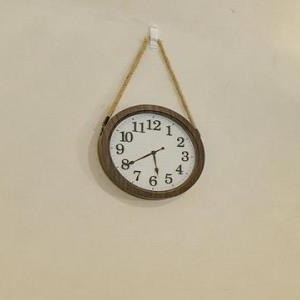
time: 5:39
